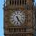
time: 5:24
